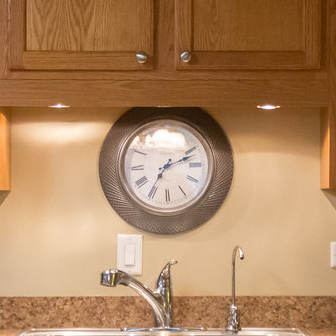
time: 7:11
